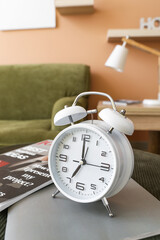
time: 6:59
